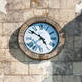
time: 4:51
